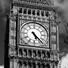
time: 5:23
